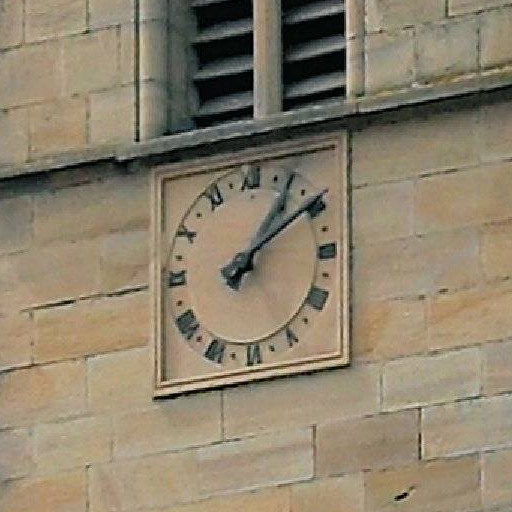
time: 1:09
